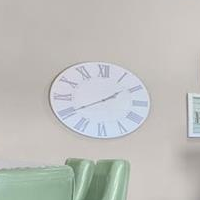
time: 1:40
